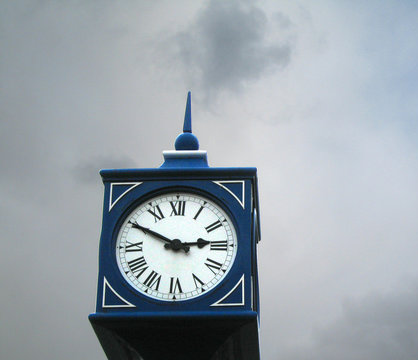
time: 2:49
